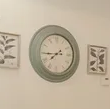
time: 7:44
